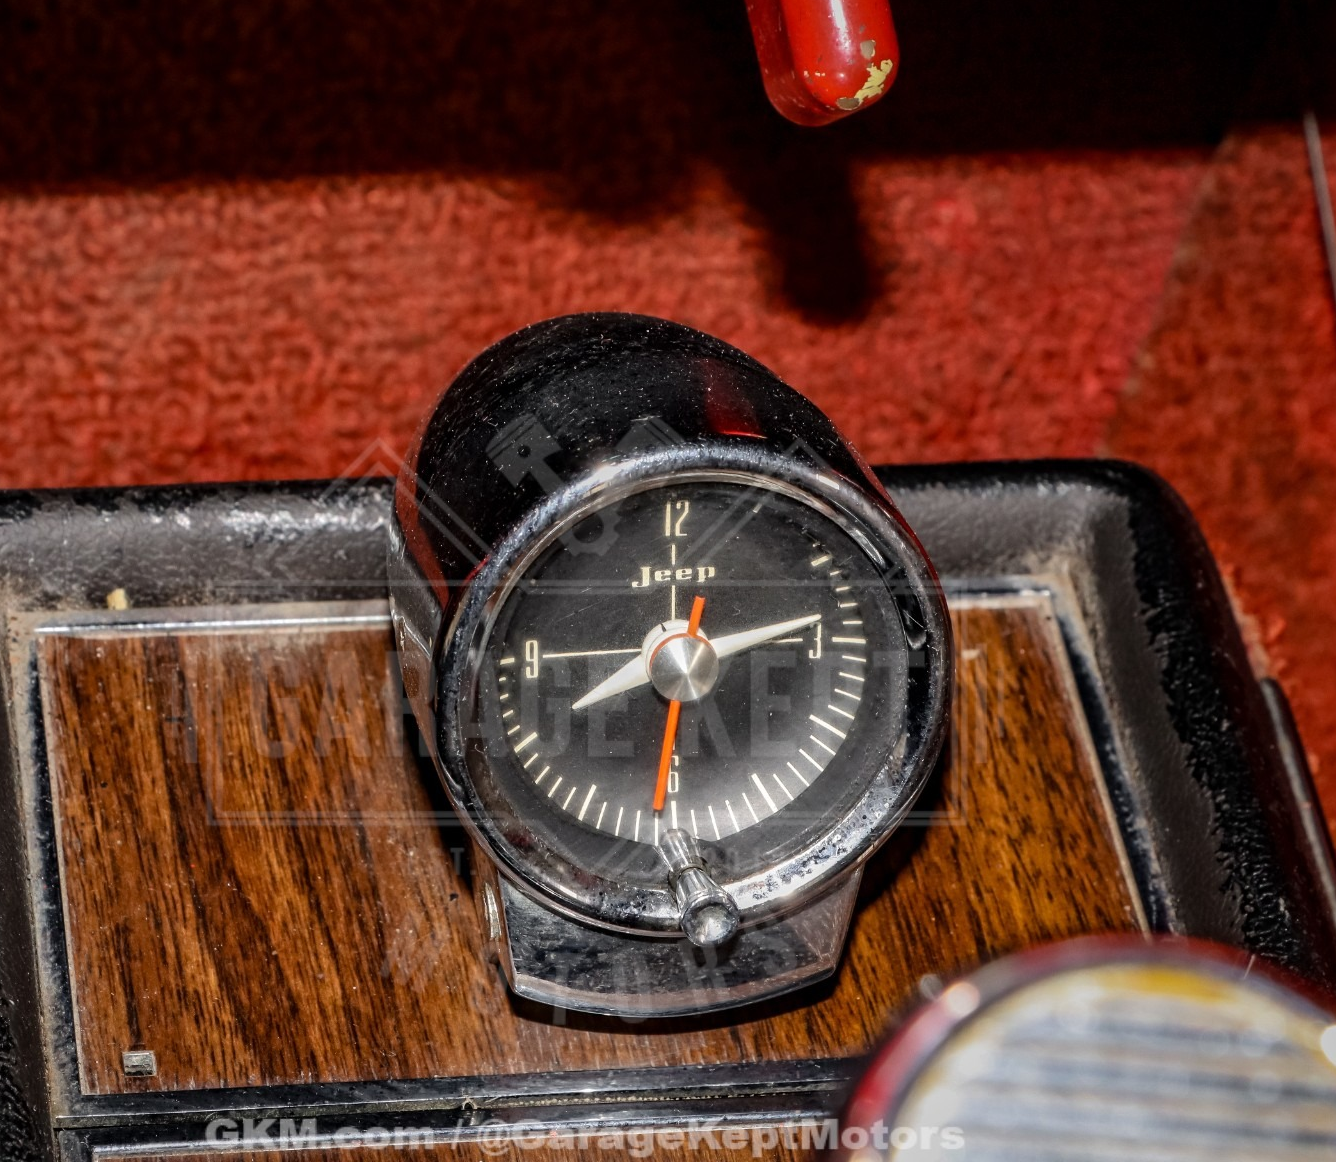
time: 8:13
